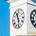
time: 11:28
